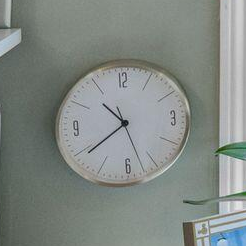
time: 10:39
